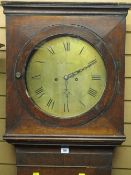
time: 2:10
